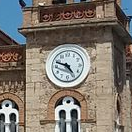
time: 4:48
